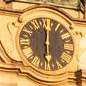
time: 6:00
